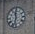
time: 11:32
